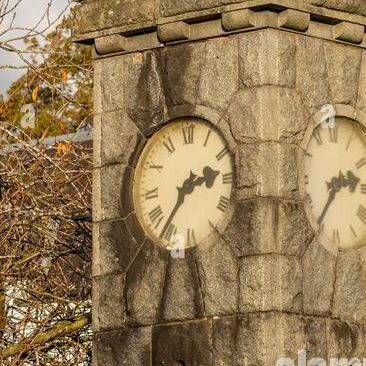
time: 2:36
